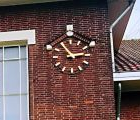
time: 2:54
